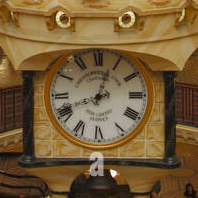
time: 12:41
